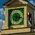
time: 6:15
